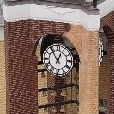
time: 12:54
